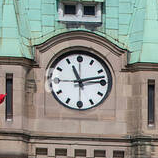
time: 11:13
